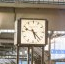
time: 5:22
